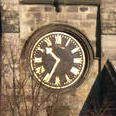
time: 10:34
